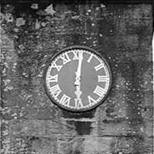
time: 6:01
